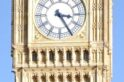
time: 3:24
